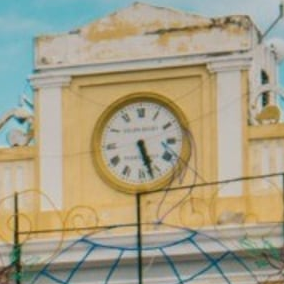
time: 5:26
